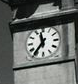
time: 11:36
